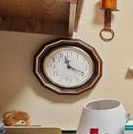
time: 11:19
